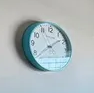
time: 1:37
